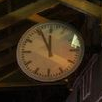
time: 11:55
